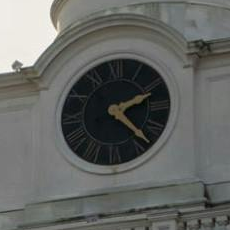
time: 2:22
